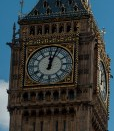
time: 12:03
